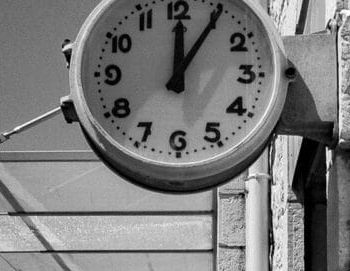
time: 12:05
